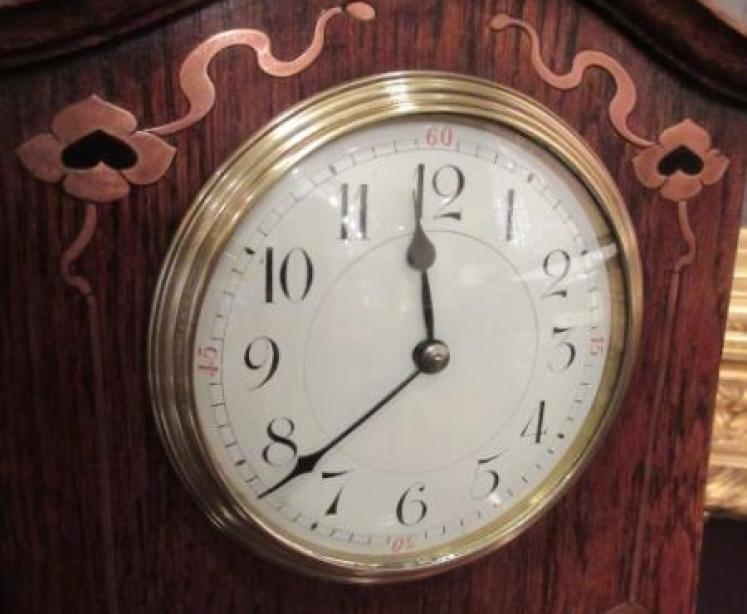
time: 11:38
